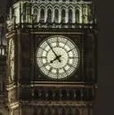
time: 7:53
